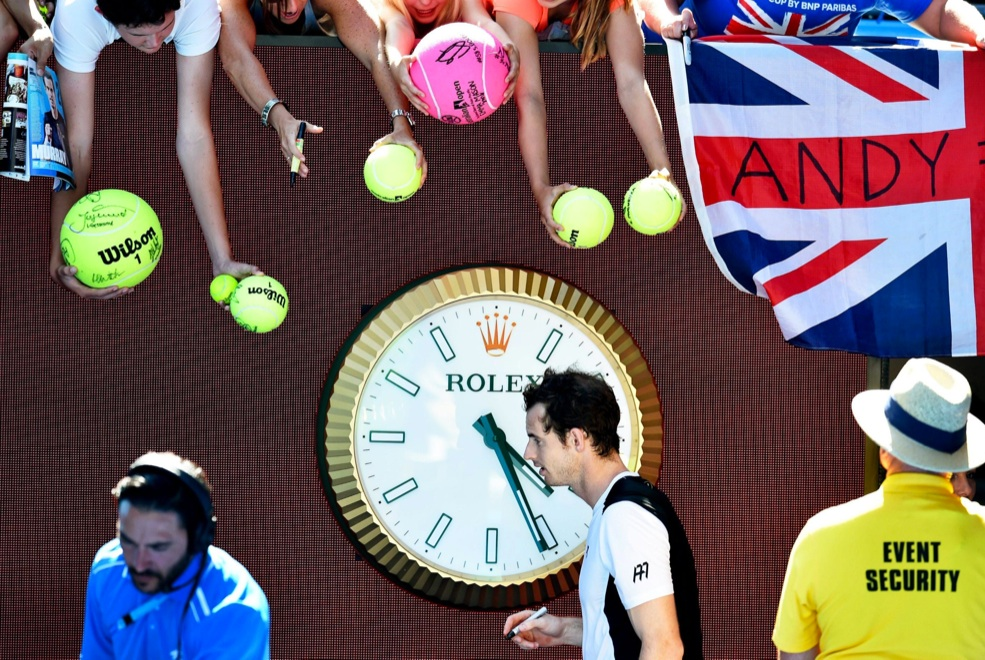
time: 4:26
